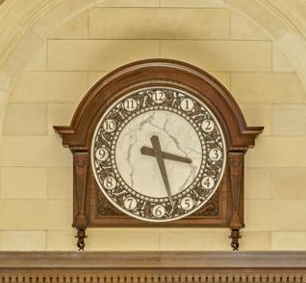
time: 3:27
